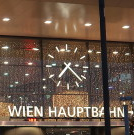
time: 7:22
